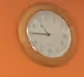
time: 10:45
